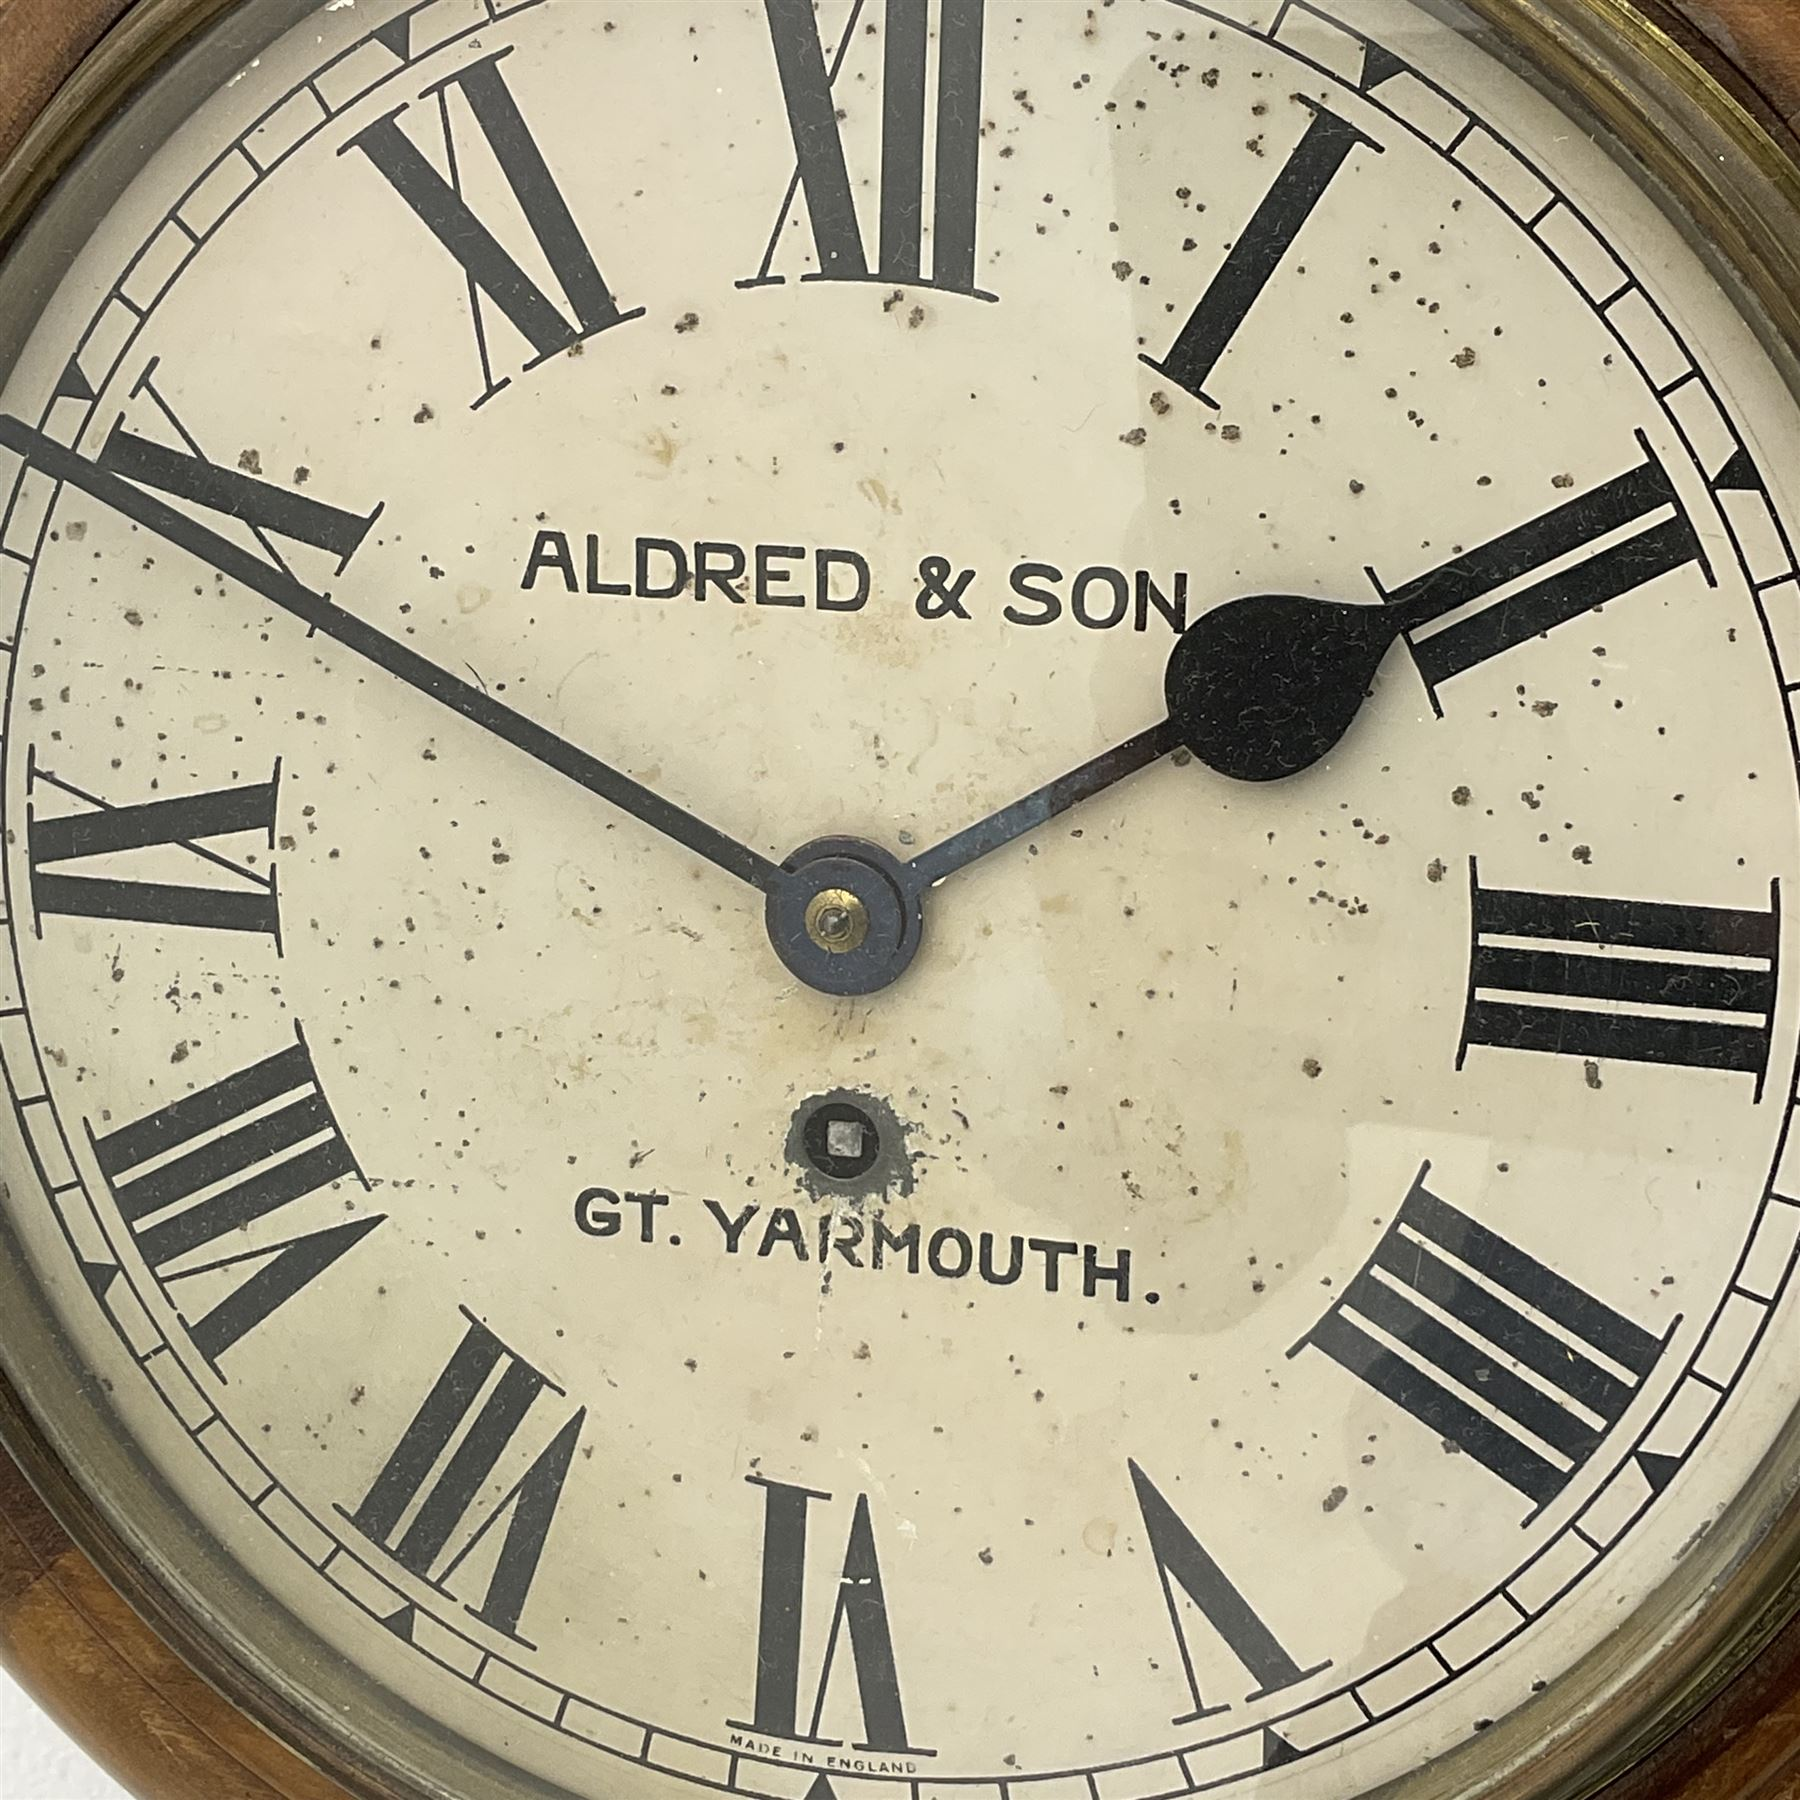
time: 1:49
